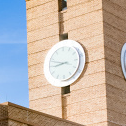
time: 8:48
